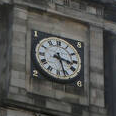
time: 3:26
